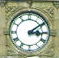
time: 3:09
